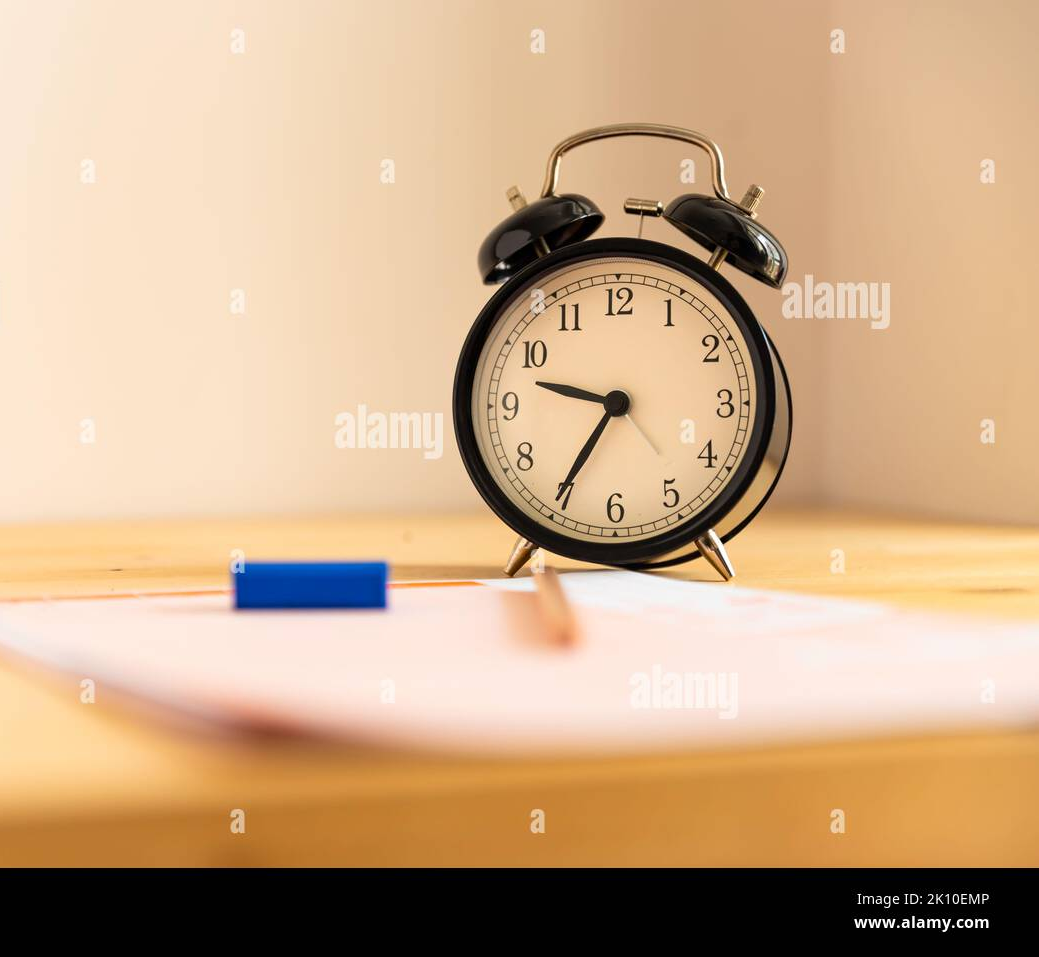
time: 9:35
